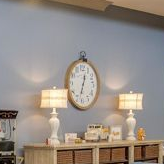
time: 12:32
